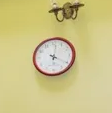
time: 12:20
